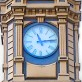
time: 11:13
